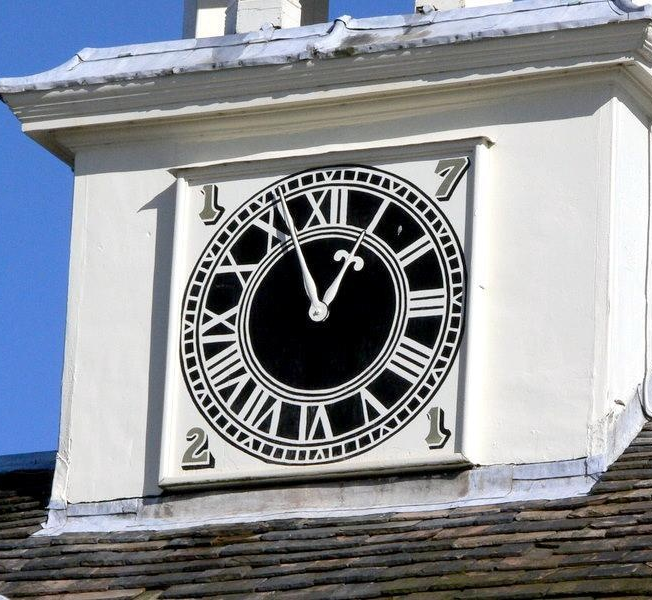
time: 12:56
